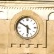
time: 5:50
